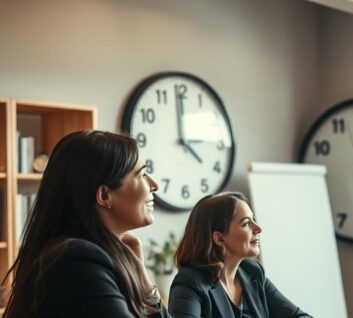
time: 3:59
